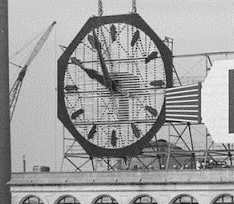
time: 9:57
